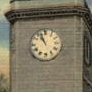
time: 10:56
